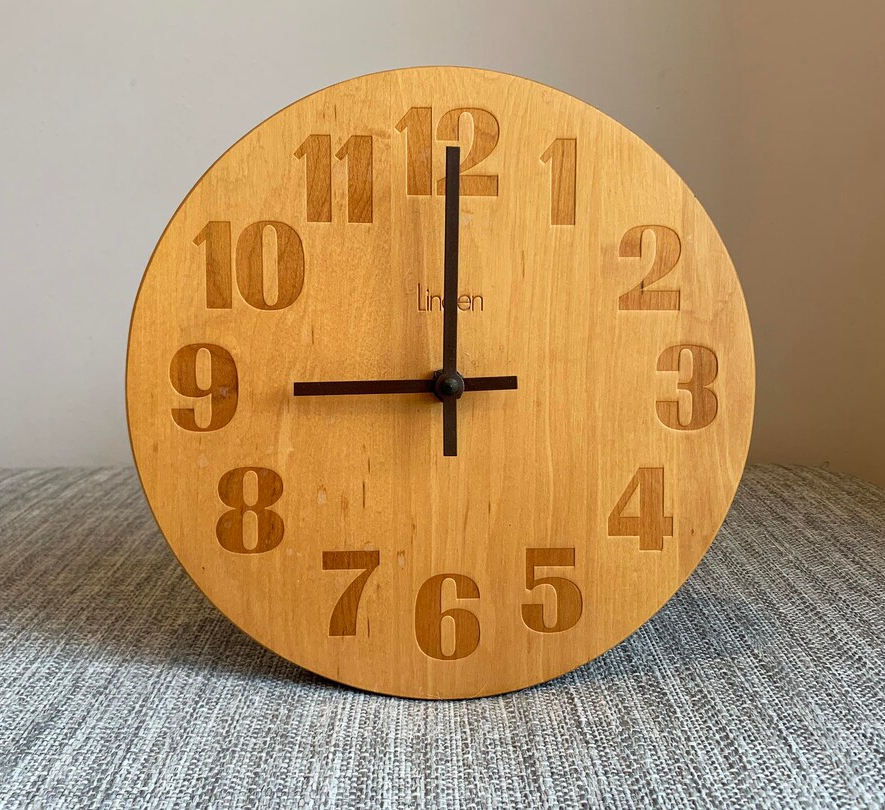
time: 9:00
